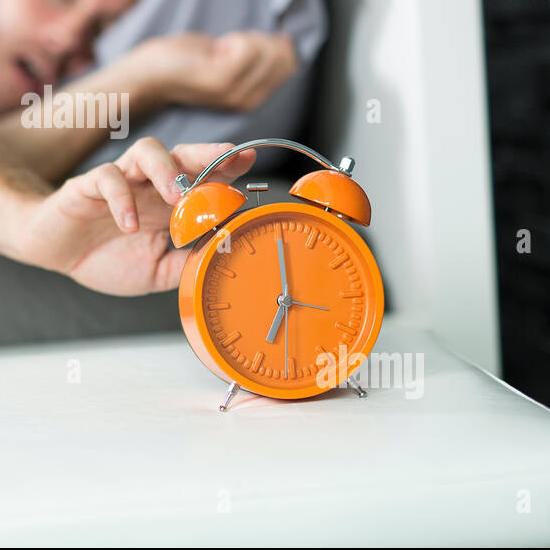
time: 7:00
